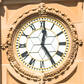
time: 12:24
